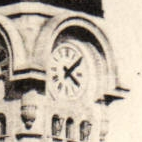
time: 4:07
